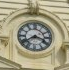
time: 3:39
